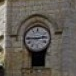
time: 2:45
